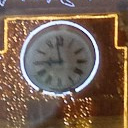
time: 8:58
